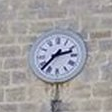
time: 2:37
